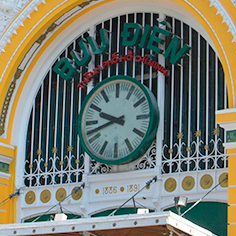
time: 9:42
